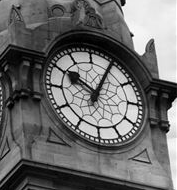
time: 10:04
